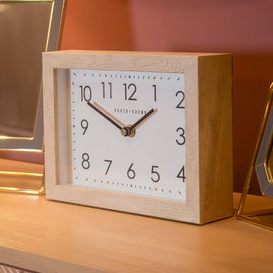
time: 1:50
